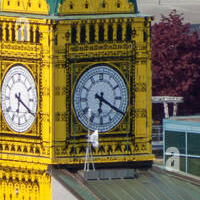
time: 6:20
